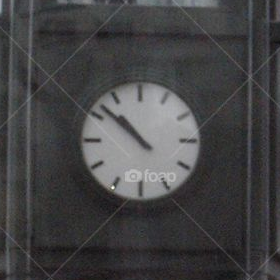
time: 10:52
